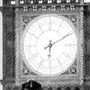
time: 6:10
